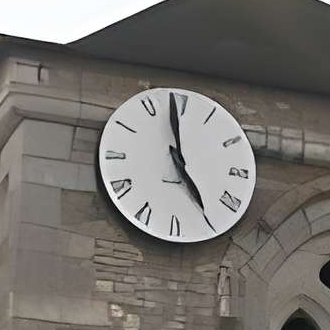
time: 4:58
